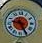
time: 9:25
